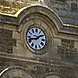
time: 1:42
